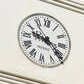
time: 9:20
